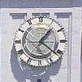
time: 1:21
